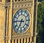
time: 6:45
